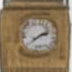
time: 2:40
